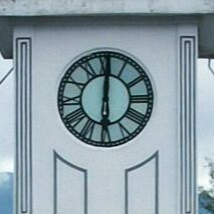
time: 6:00
